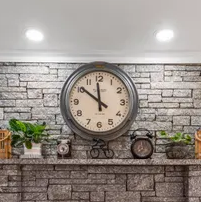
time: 11:51
